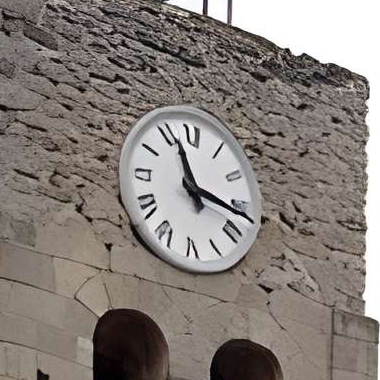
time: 11:16
